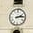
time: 2:13
